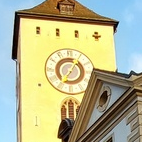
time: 7:06
